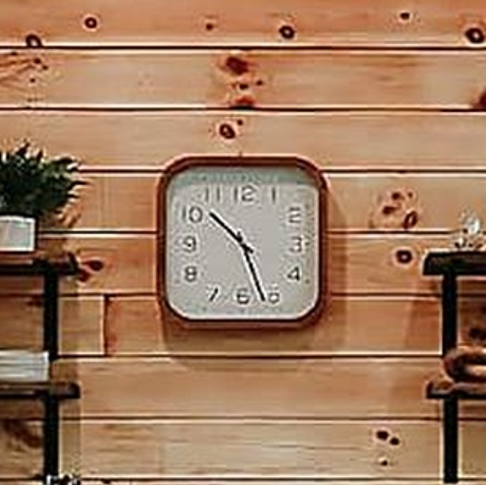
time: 10:26
